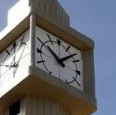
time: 10:07
